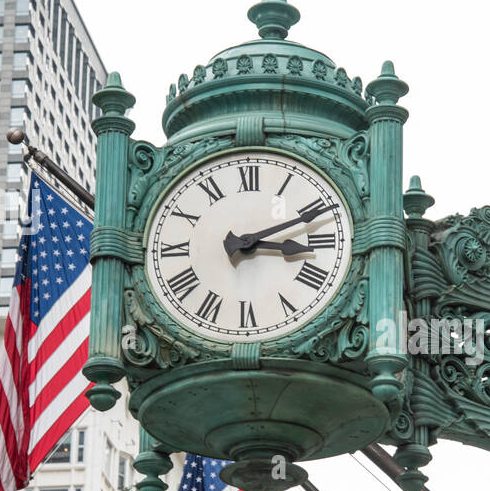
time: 3:11
